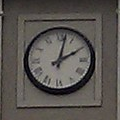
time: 2:02
